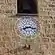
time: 8:16
